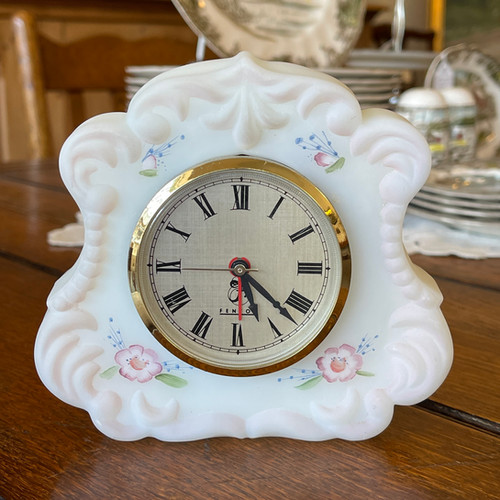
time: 5:22
